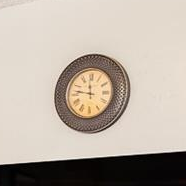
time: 11:46
